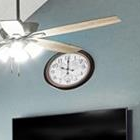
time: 10:00
